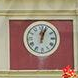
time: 12:03
